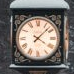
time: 4:07
